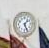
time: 1:26
